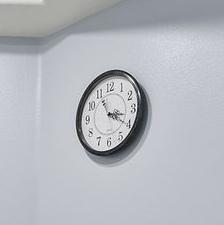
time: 3:20
